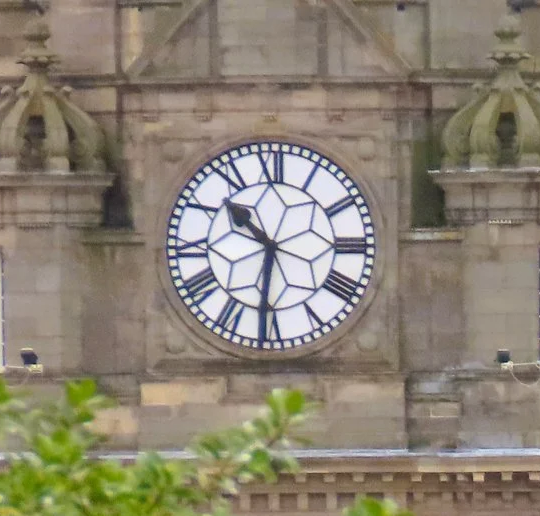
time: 10:31
